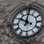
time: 10:00
